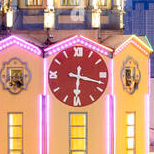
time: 6:17
